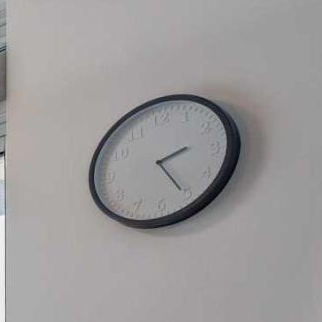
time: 2:25
